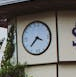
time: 3:37
